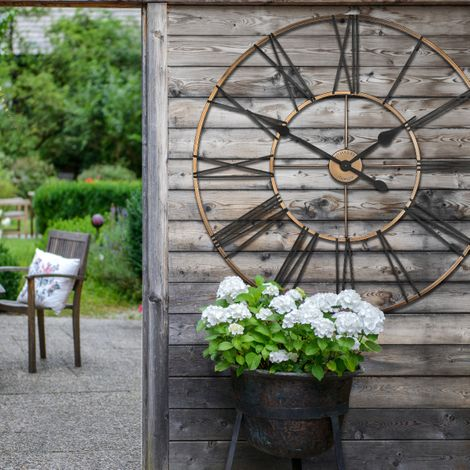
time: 1:50
